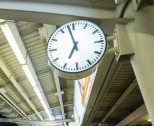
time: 6:58
